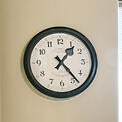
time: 1:23
